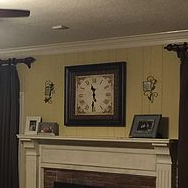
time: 11:31
